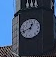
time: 12:41
